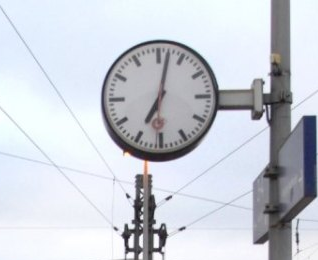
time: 7:02
